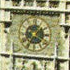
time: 1:35
